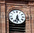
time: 5:32
